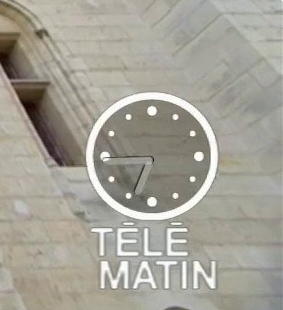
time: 6:44
